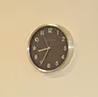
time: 8:34
